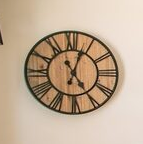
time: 5:03
